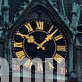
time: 10:07
